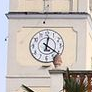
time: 12:20
